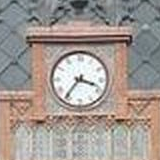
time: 3:36
